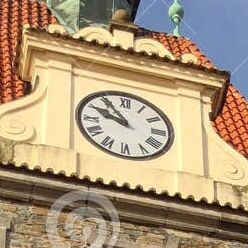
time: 9:54
